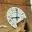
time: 9:01
